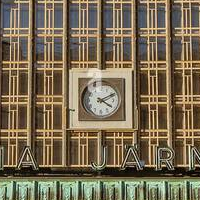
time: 4:10
